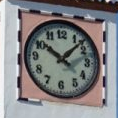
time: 10:07
